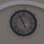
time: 4:55
